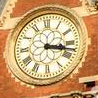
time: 3:17
